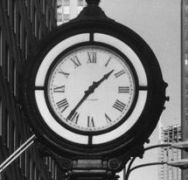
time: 1:36
